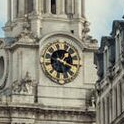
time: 1:18
